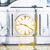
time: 9:20
